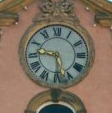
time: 9:28
